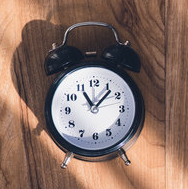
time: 11:07
